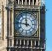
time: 11:46
